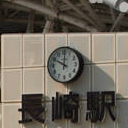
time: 10:00
